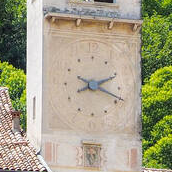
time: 2:18
